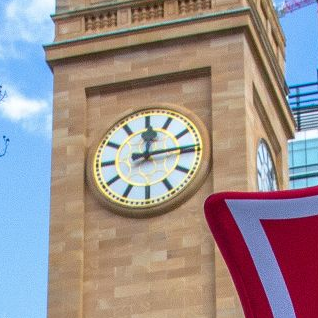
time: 12:14
